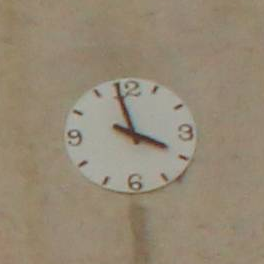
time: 3:58
